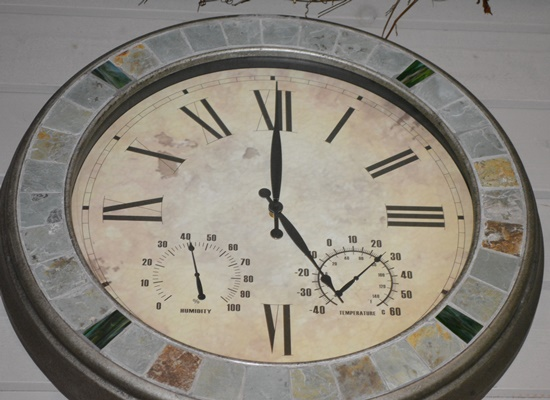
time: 5:00
